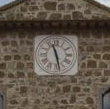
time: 11:28
